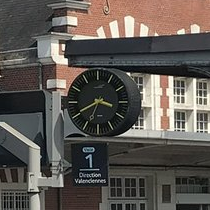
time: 3:40
